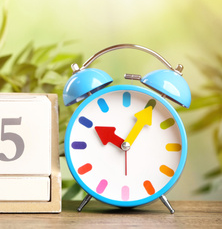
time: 10:05
